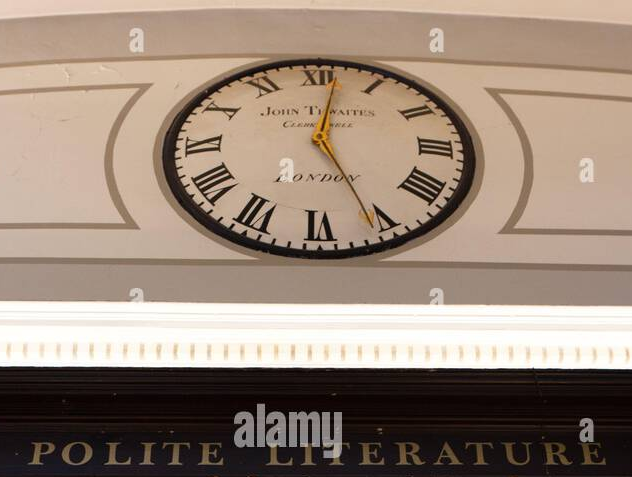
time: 5:01
